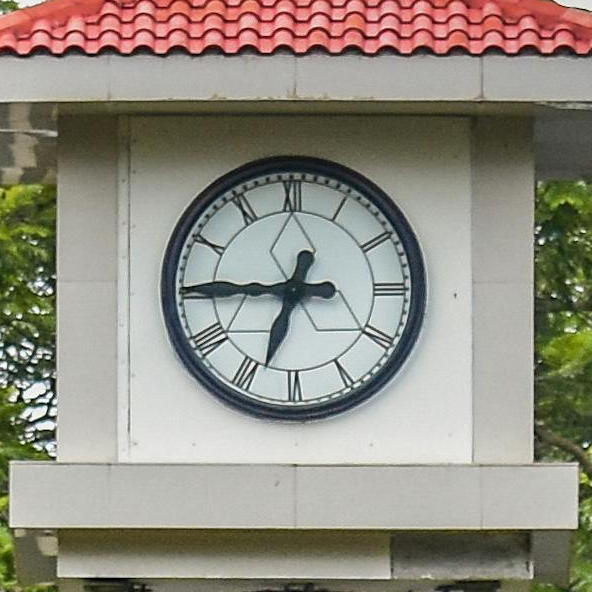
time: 6:45
